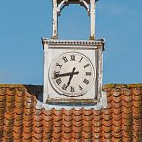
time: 6:43
